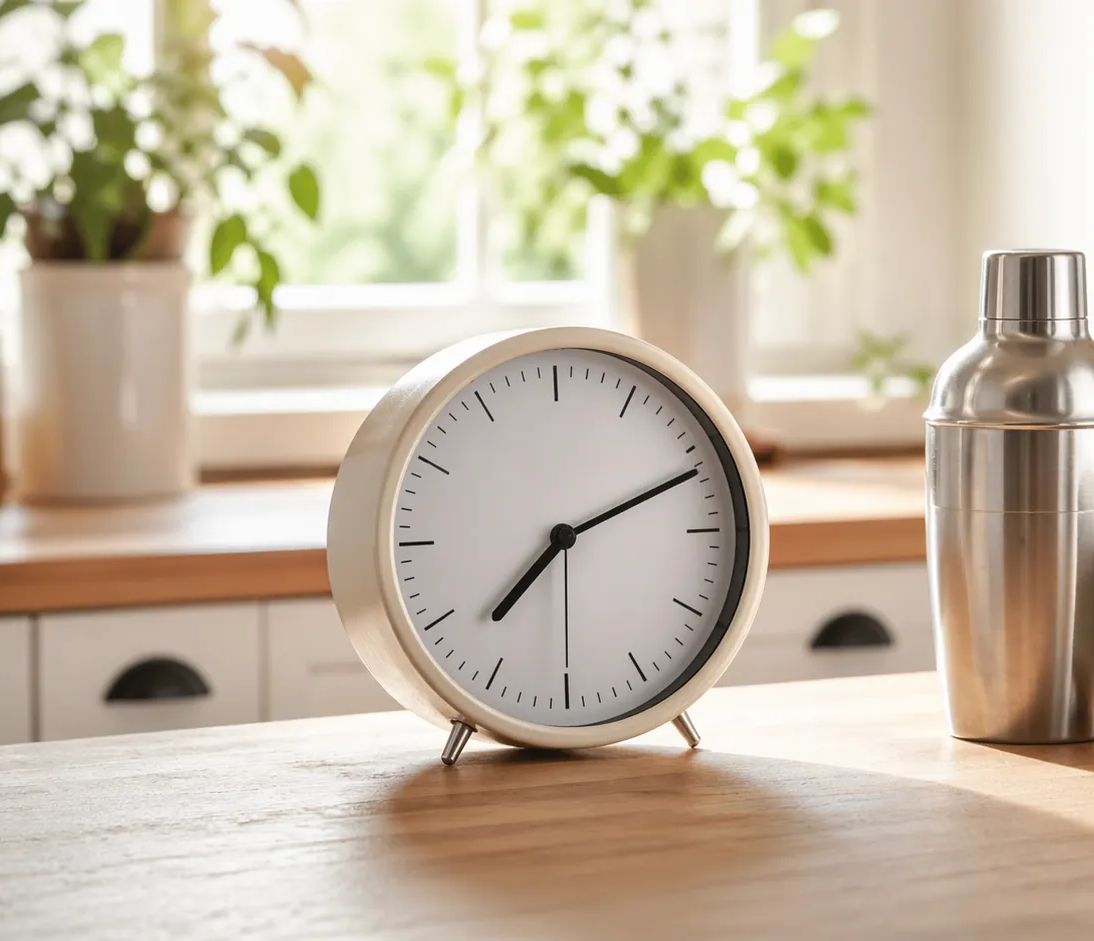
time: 7:11
